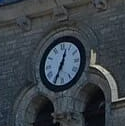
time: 12:34
